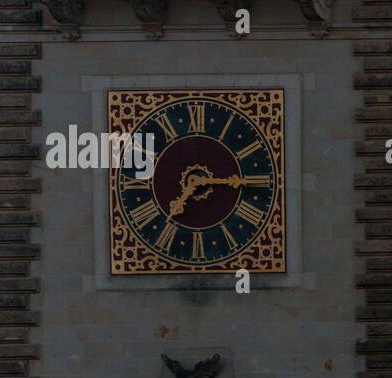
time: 7:15
